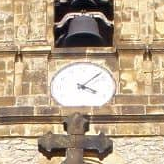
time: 4:07
